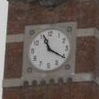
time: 11:20
